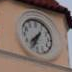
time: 7:34
